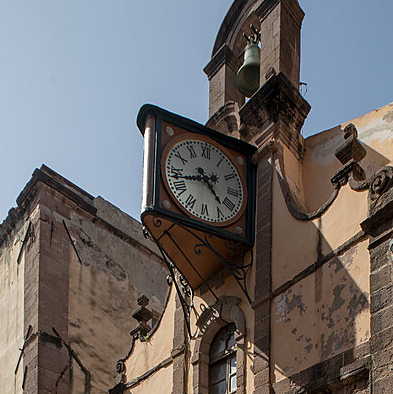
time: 4:42
